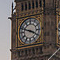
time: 3:48
